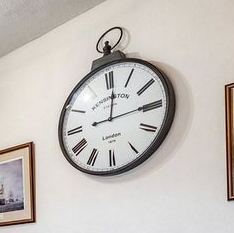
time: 12:14
